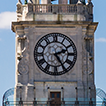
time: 2:24
